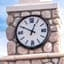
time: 12:49
